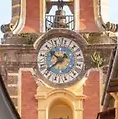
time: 9:37
